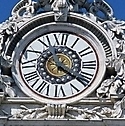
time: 11:21
